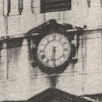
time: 6:29
